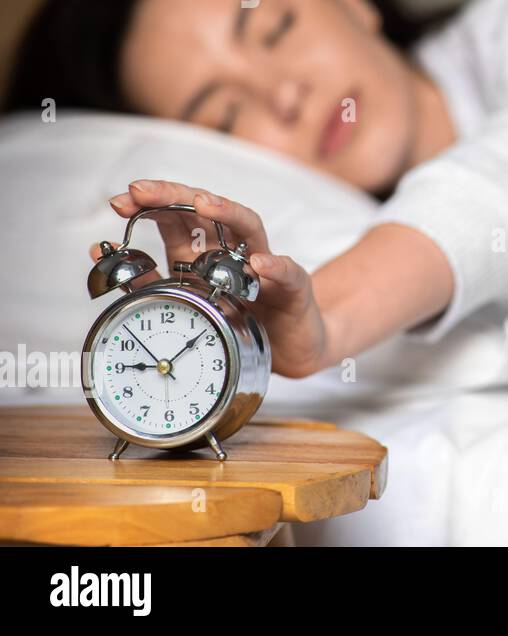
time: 9:08
